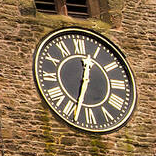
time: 12:33
